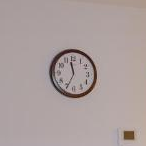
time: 11:34
